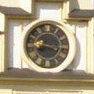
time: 8:17
